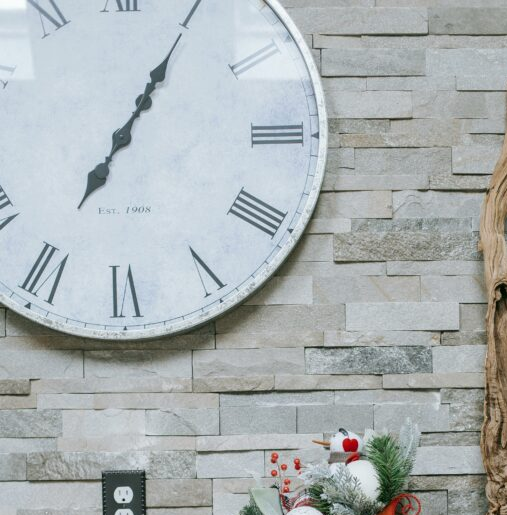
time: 7:05
